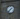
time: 1:37
